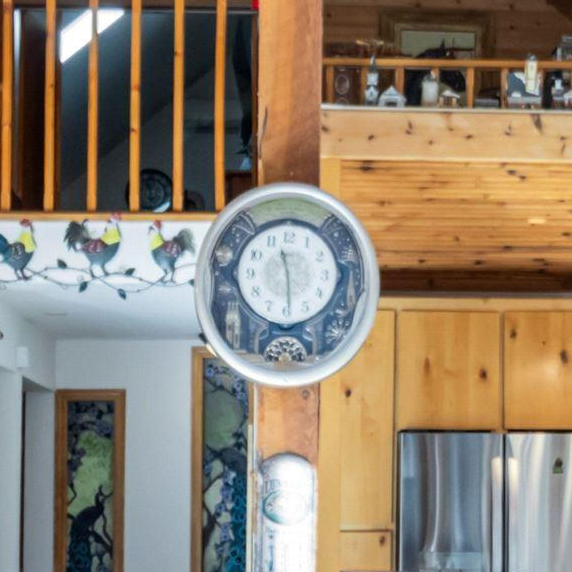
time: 11:29
